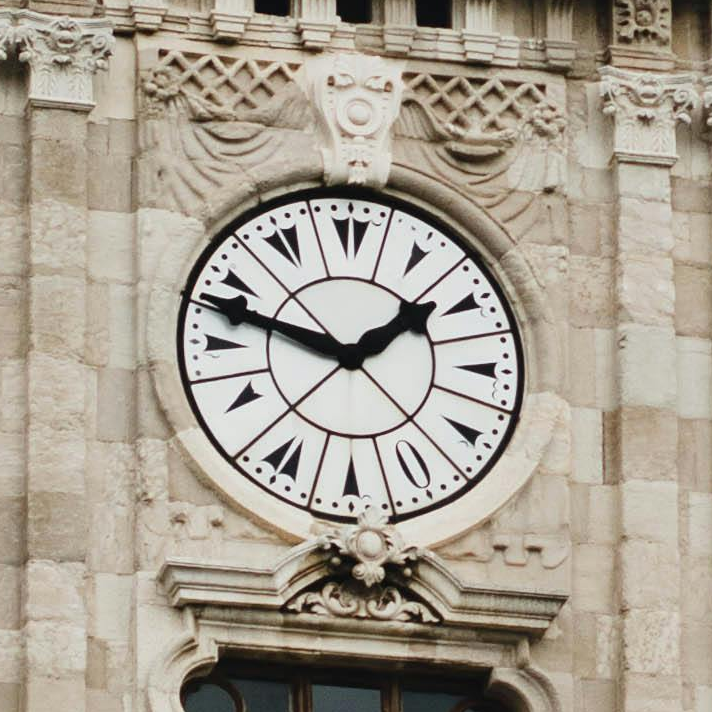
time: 1:47
